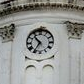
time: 10:35
